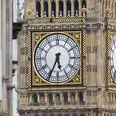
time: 5:34
